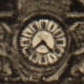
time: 4:38
